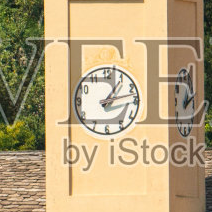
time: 1:12
